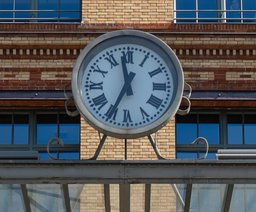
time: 11:34
